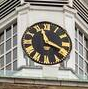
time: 11:18
